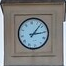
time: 3:07
